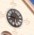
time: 6:14
